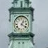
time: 1:20
